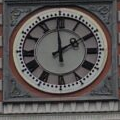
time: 1:59
